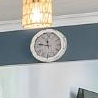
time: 11:46
